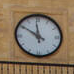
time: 11:50
